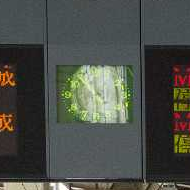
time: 5:59
